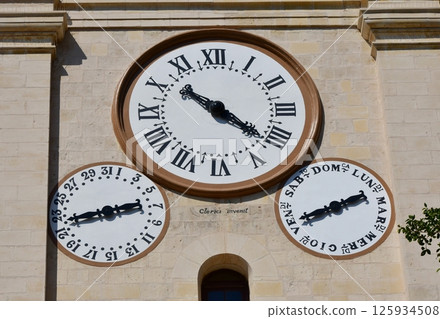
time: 10:21
